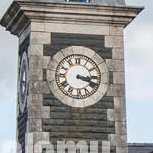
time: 3:18
